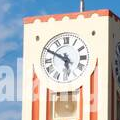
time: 5:49
